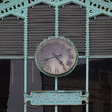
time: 4:42
